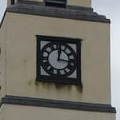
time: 12:16
